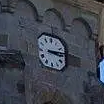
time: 3:13
